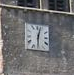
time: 12:30
